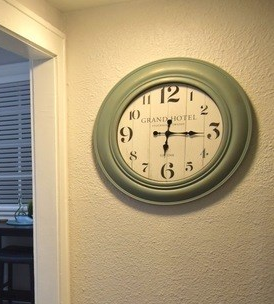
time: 6:15
